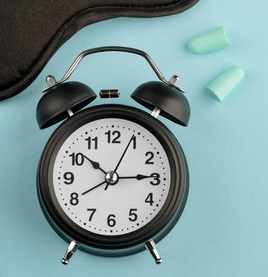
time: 10:14
